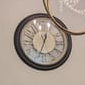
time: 12:33
